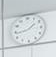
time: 1:43
